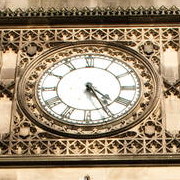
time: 4:25
